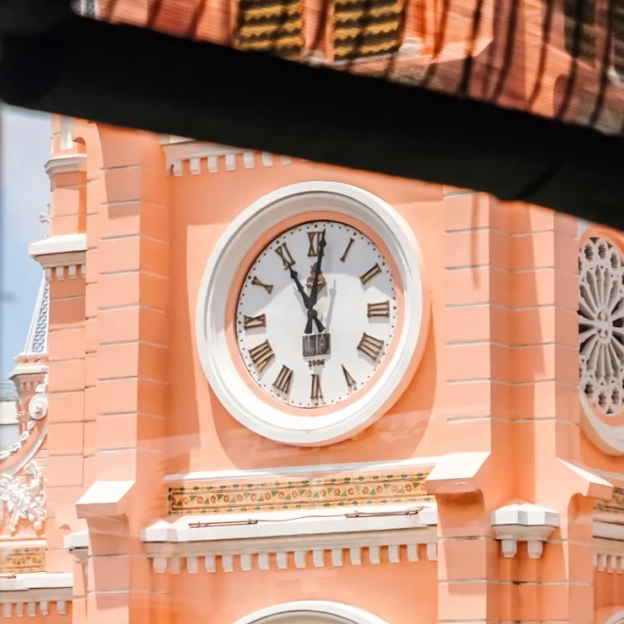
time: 11:01
